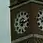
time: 7:12
